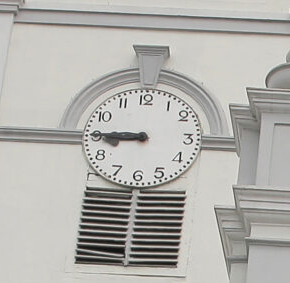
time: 8:45
